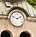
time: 1:47
